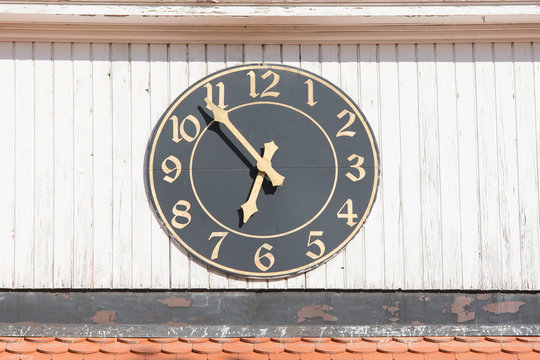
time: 6:53
